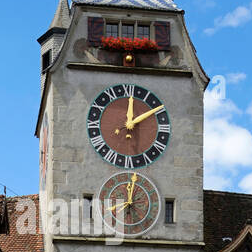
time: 12:09
